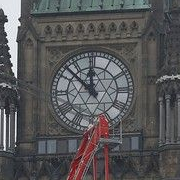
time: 11:52
